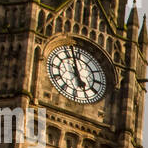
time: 4:57
